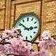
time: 2:51
